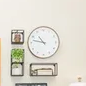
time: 10:47
